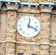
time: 12:18
